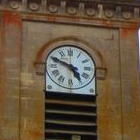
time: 4:48
